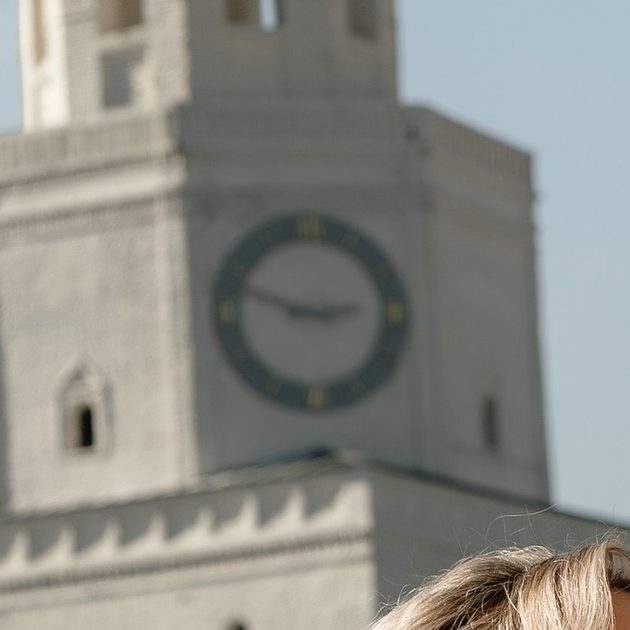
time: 2:48
